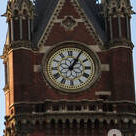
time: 1:05
